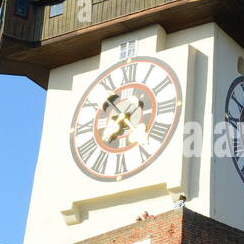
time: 10:36
